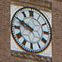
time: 9:49
